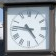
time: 4:46
